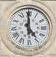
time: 4:59
